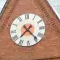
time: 7:23
